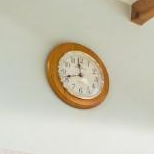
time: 11:41
